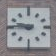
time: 9:45
